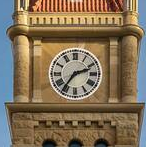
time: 2:36
